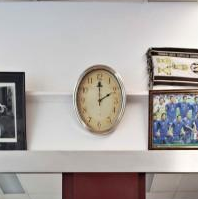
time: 2:00
